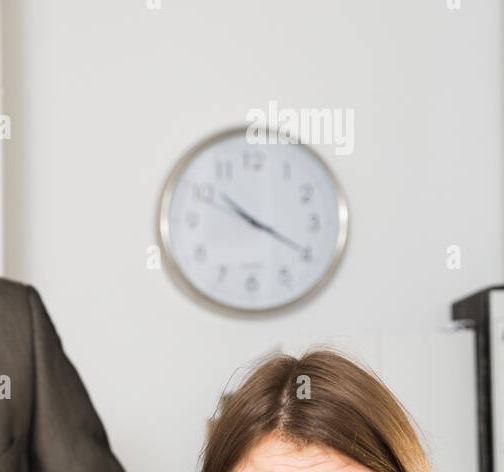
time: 10:19
